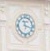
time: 11:17
